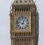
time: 12:47
